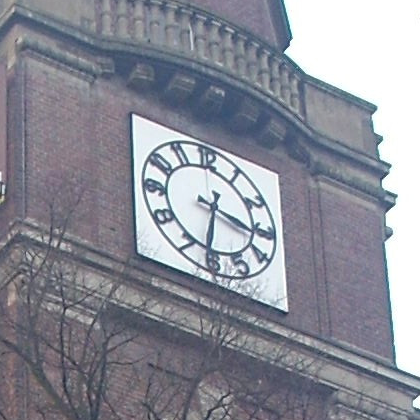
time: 6:16
